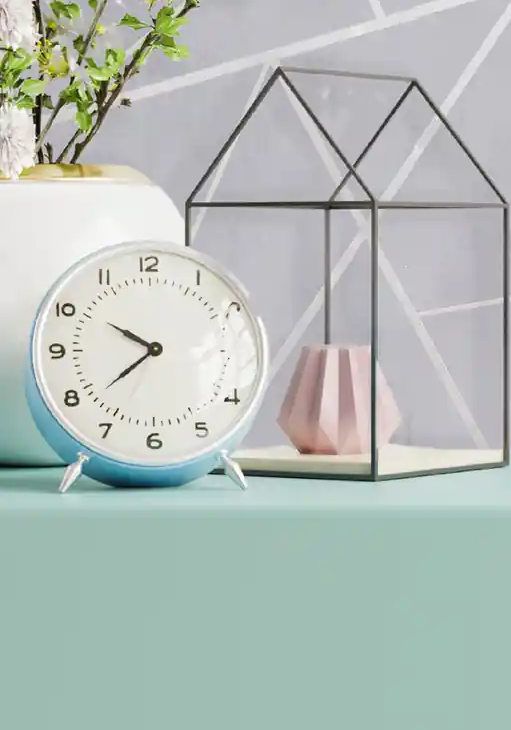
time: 7:50
